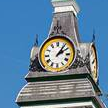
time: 2:06
